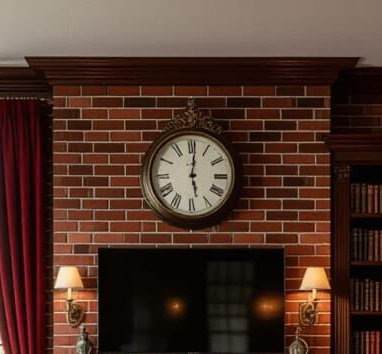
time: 6:01
